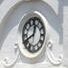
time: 12:40
